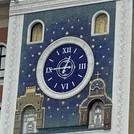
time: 12:45
